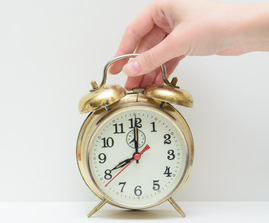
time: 8:00
